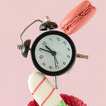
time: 10:50
